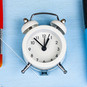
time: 12:52
